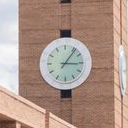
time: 3:06
